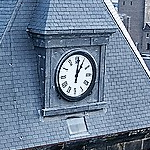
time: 1:01
